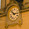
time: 2:52
